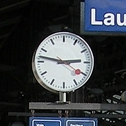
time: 2:47
